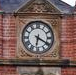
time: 6:20
